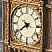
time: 9:40
